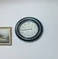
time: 8:43
